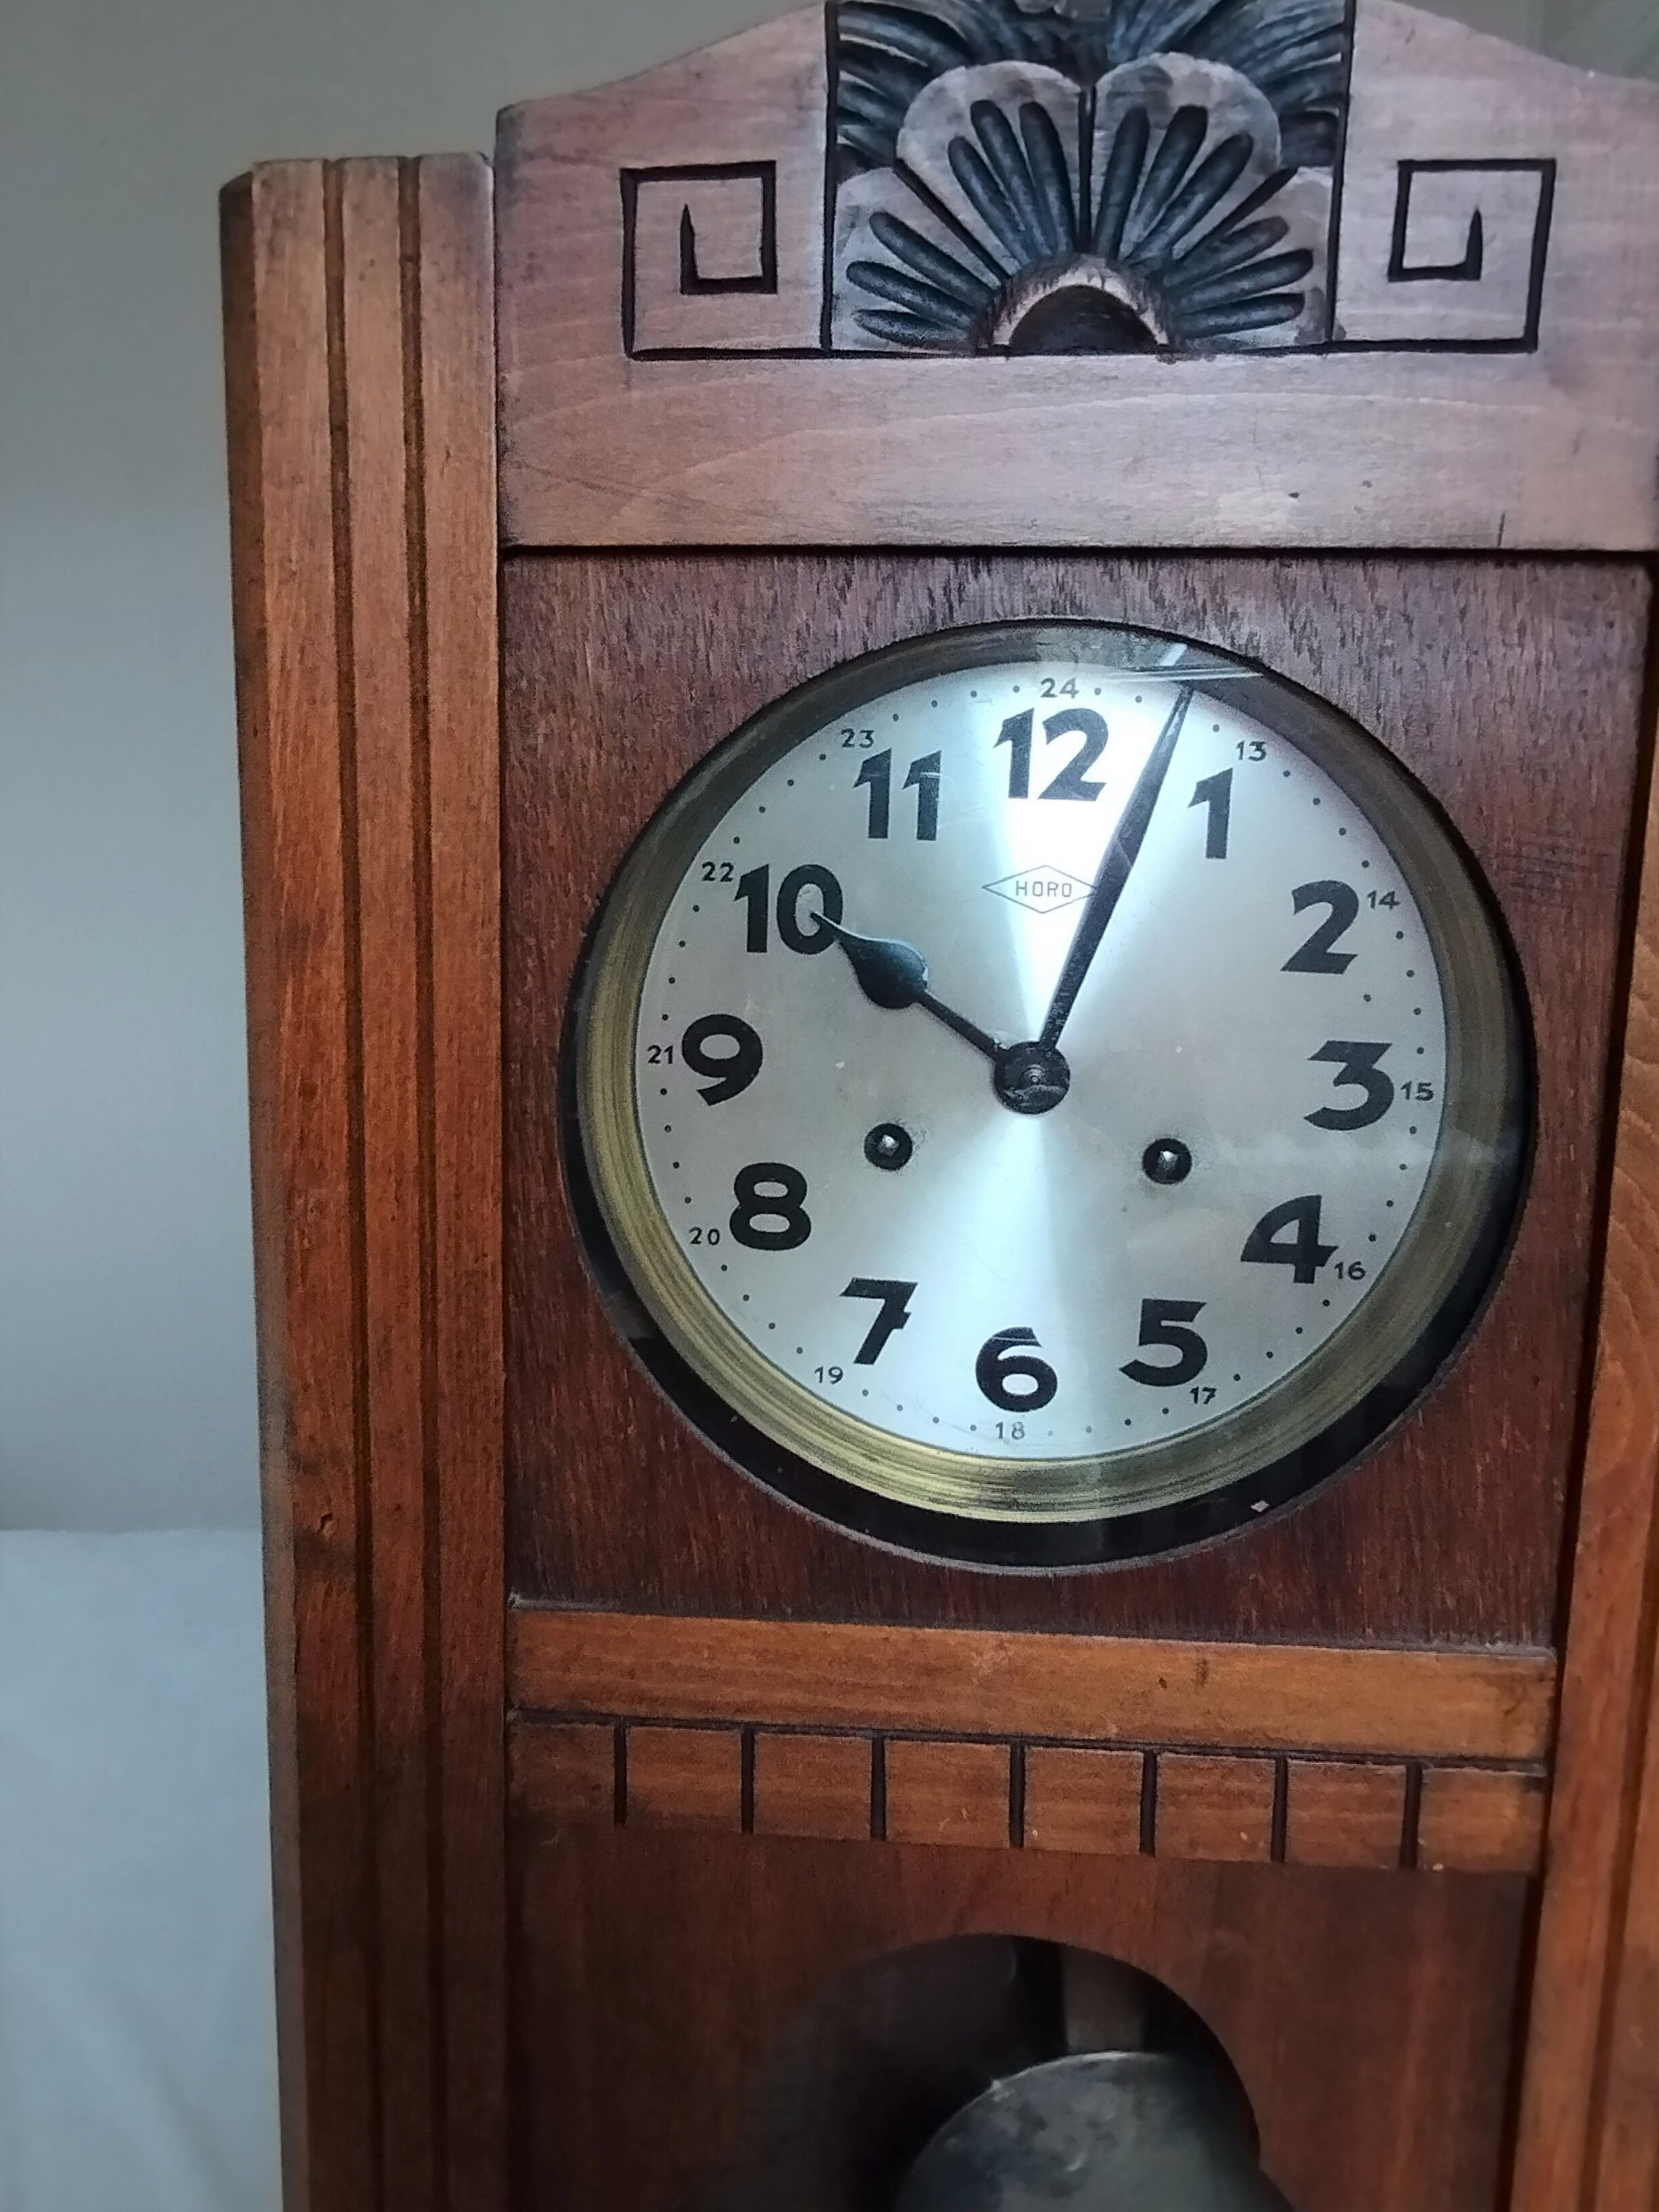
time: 10:03
